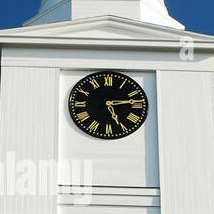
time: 5:13
